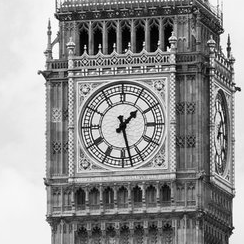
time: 1:27
